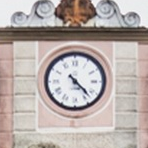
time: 4:22
